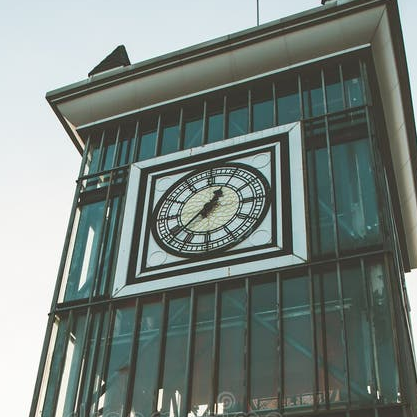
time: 12:38
